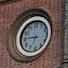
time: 6:45
